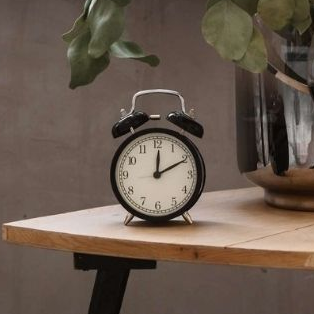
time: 12:10
